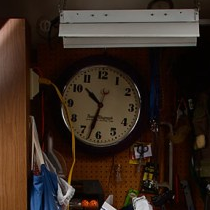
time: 10:32
